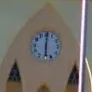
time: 6:00
